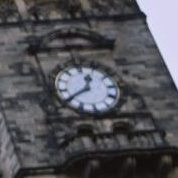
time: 12:40
